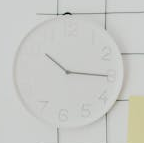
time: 10:14
